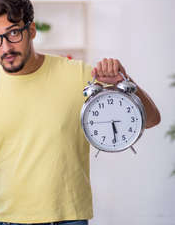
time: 5:29
